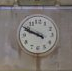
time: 9:49
